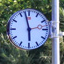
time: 5:57
